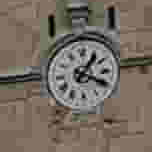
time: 1:18
